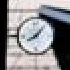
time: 8:07
